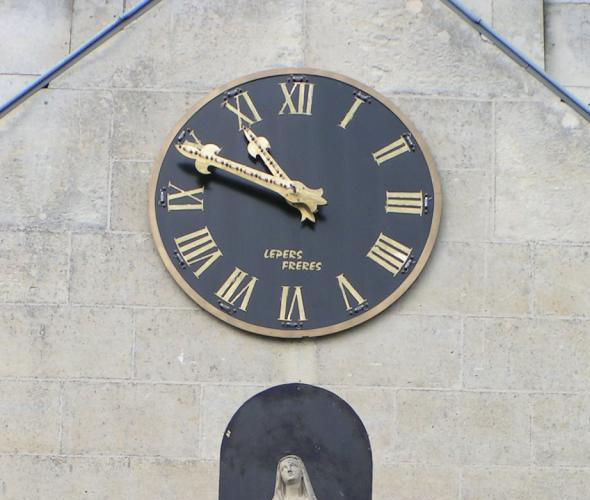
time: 10:48
